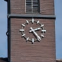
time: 2:24
